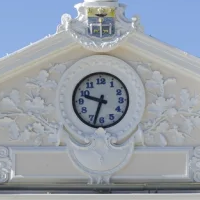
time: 9:33
